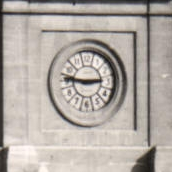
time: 2:46
